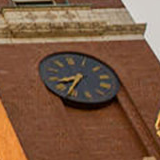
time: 8:36
